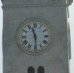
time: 11:29
